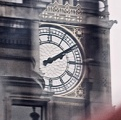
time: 2:09
